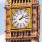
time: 1:11
